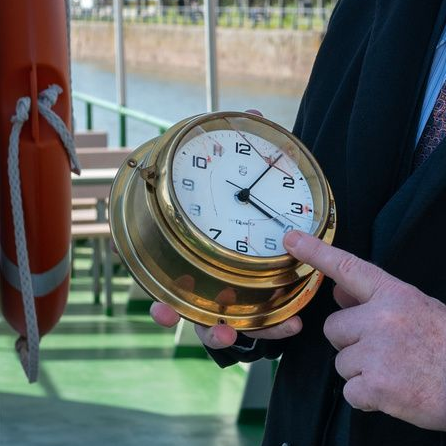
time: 4:05
